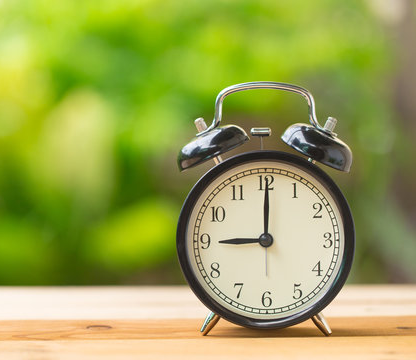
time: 9:00
